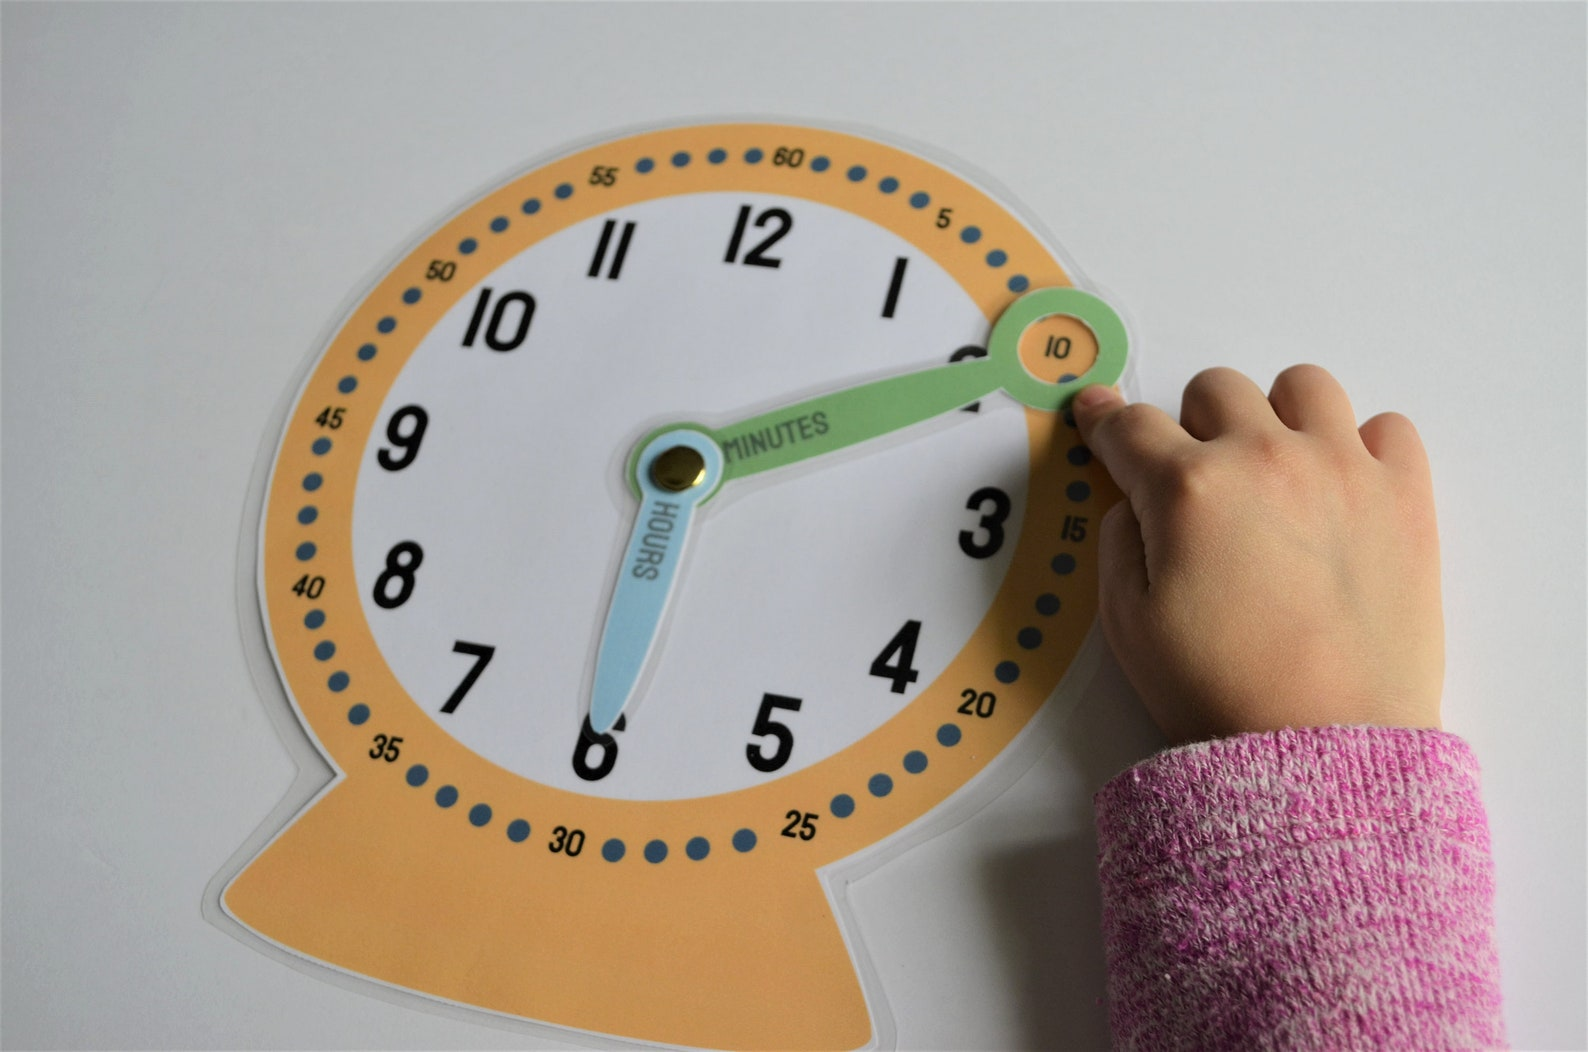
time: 6:10
